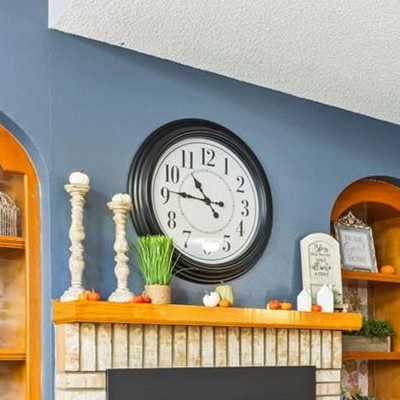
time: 10:46
